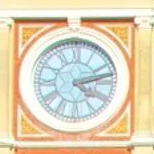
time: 4:12
